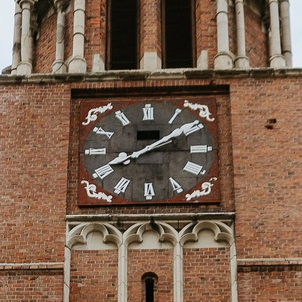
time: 8:09
